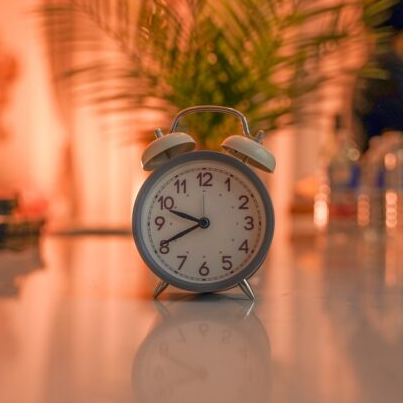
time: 9:40
